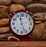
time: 11:26
